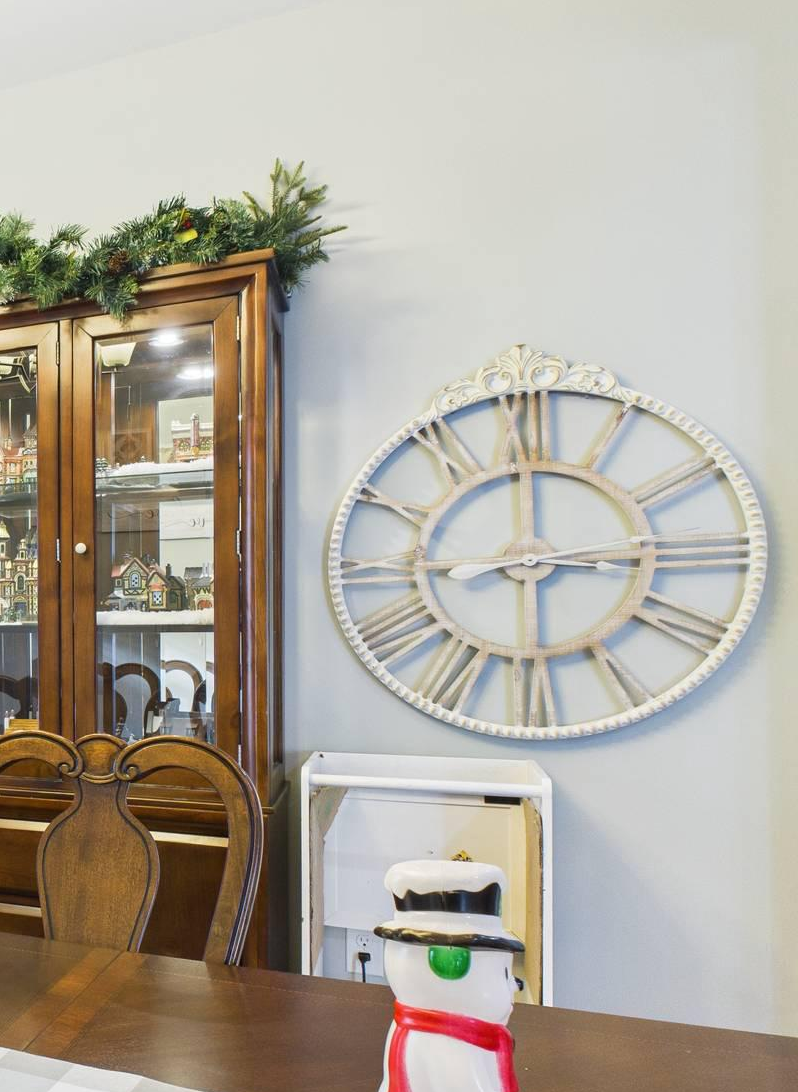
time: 3:00
